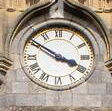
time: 3:50
